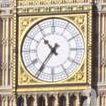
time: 10:36
